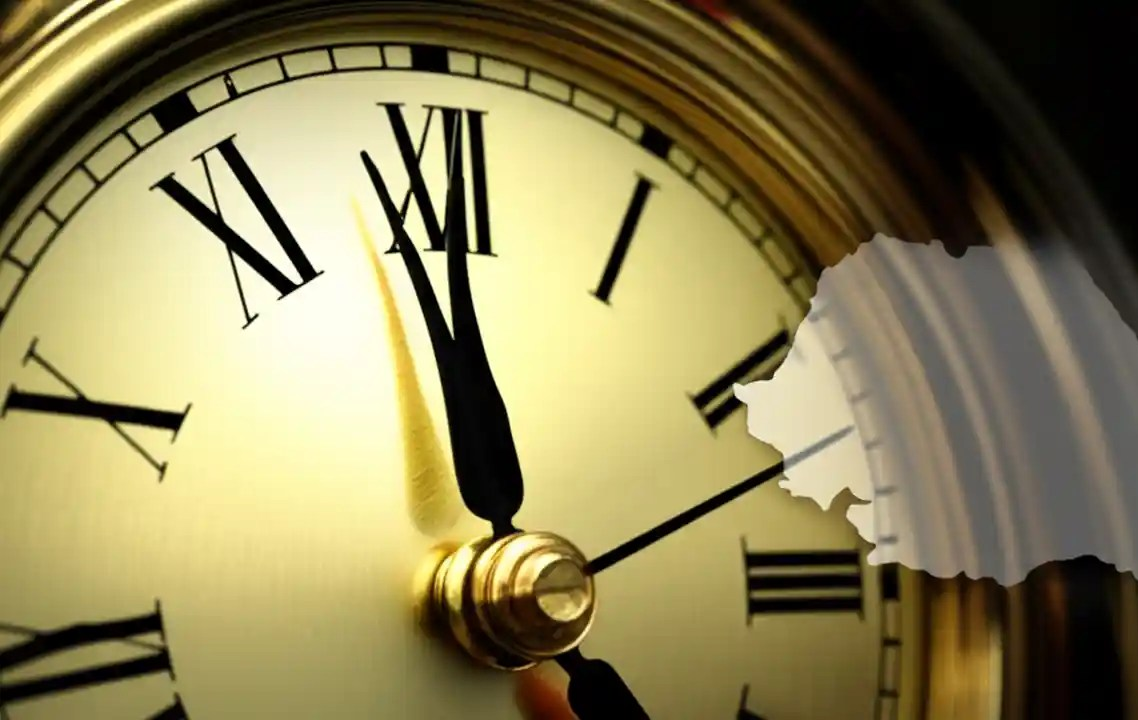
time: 11:58
